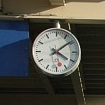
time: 4:08
